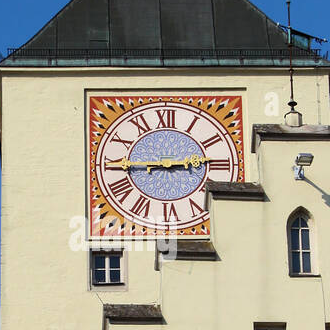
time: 2:44
